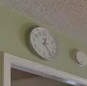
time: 12:24
